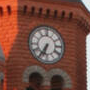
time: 6:35
